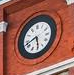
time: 5:42
